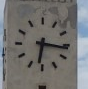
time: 6:16
